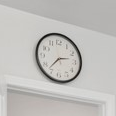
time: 2:37
